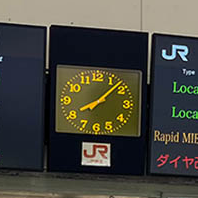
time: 8:08
